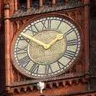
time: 1:50
